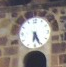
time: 6:26
